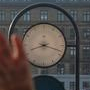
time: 8:18
